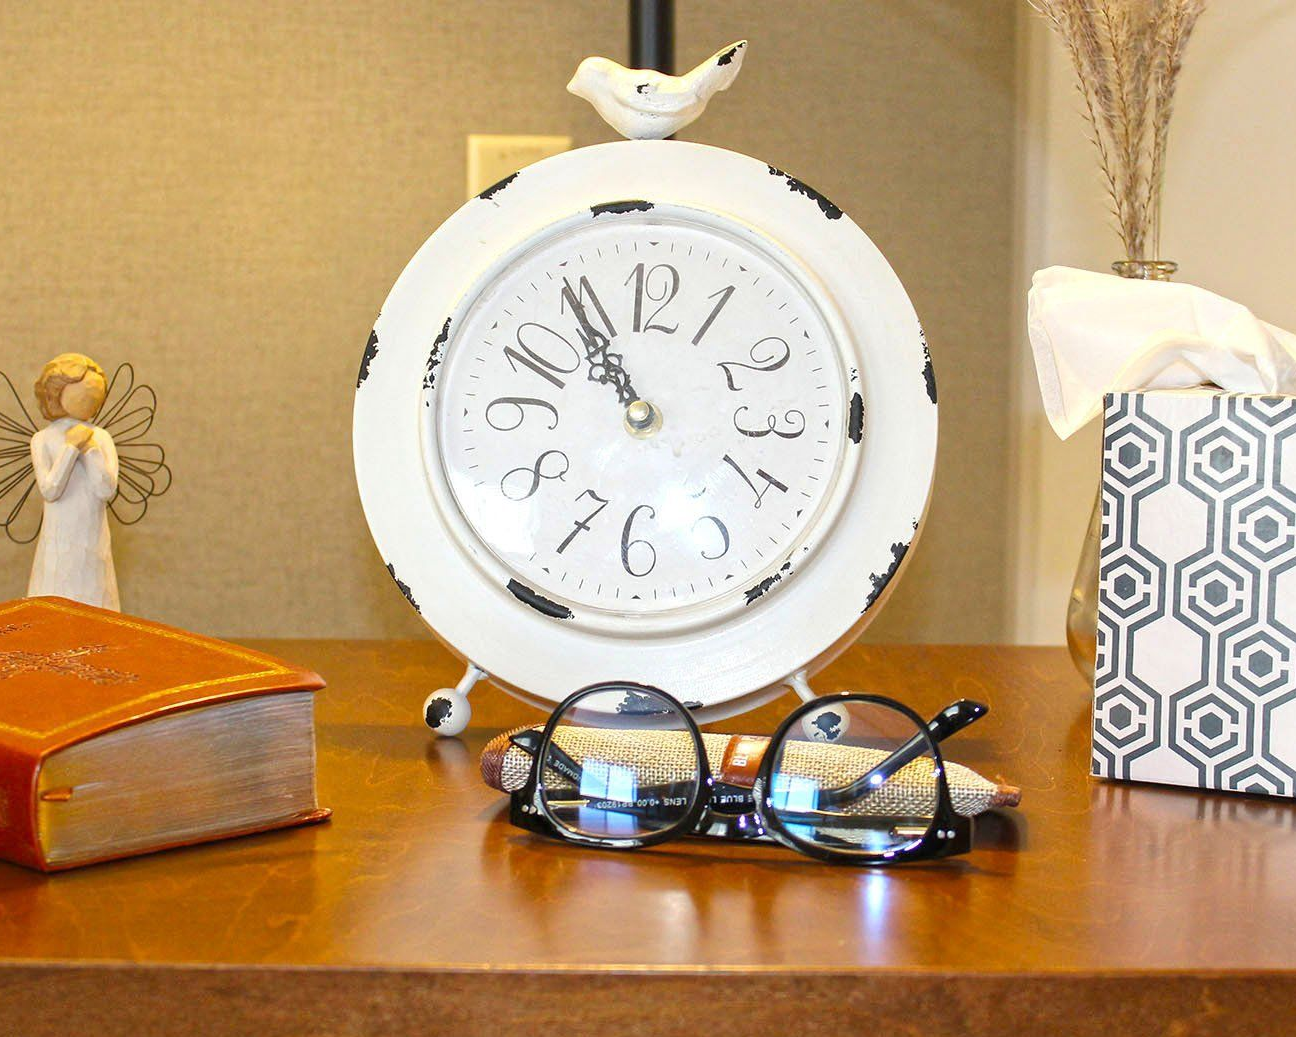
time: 9:54
